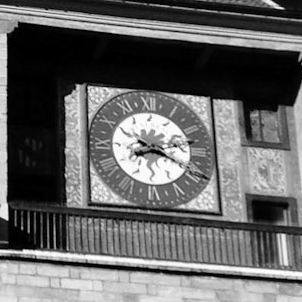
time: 8:19
